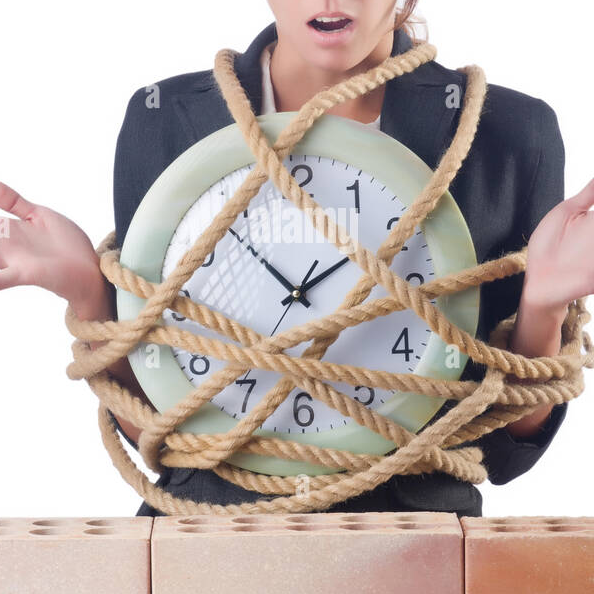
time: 1:53
